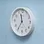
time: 11:35
